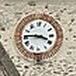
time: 3:45
